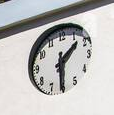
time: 1:30
